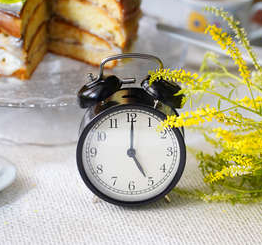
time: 5:00
